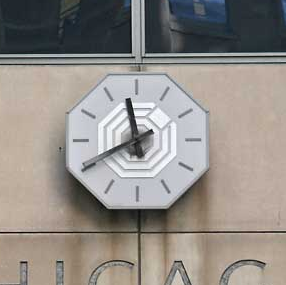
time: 11:40
